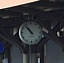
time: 10:53
